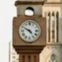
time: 4:49
